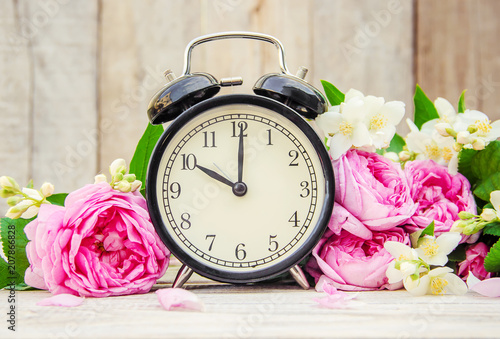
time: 10:00
